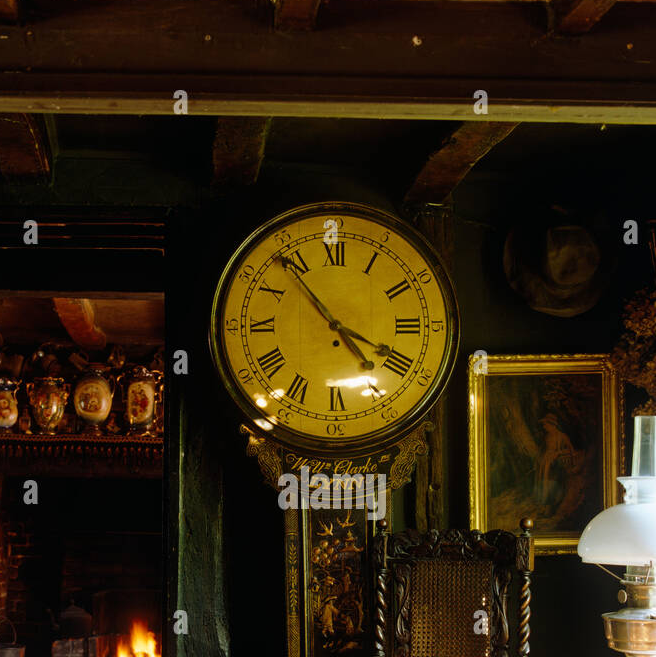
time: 3:53
